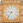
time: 9:36
